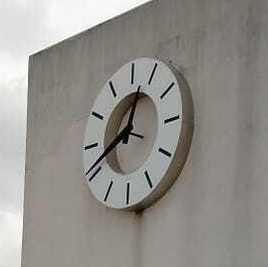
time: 12:41
